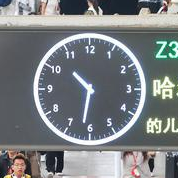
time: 10:31
